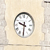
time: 9:31
